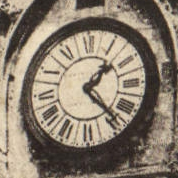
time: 1:23
